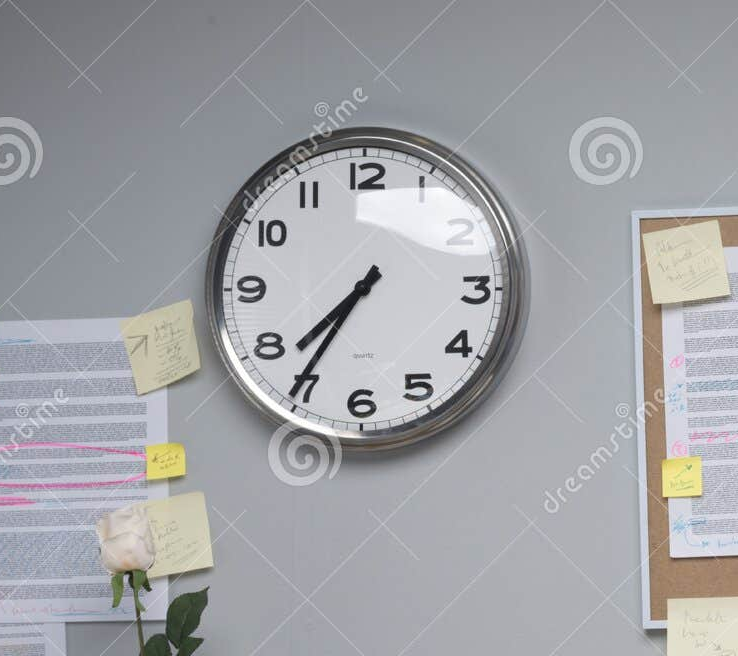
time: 7:35
